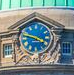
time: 3:47
